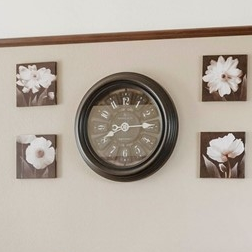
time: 8:14
